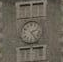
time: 2:24
